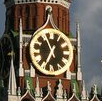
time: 6:56
